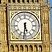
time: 5:31
